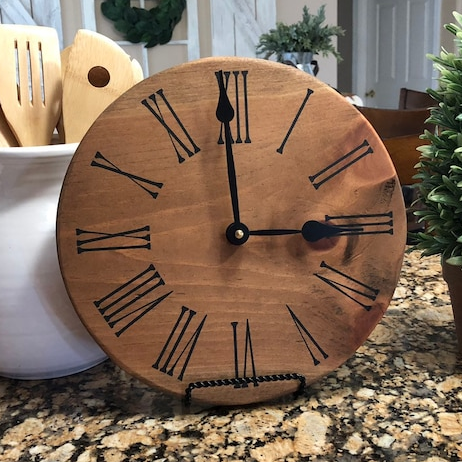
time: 2:59
